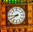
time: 7:44
